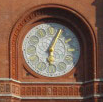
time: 6:04
